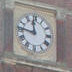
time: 11:46
